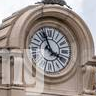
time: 3:56
